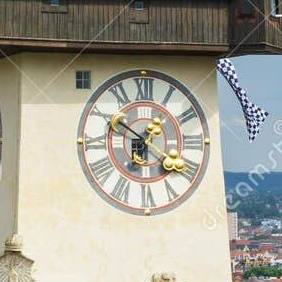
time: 6:50
